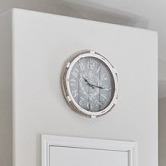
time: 10:15
